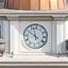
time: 9:57
